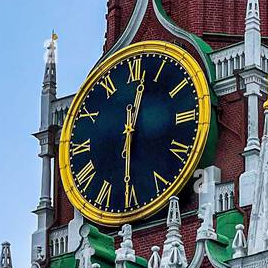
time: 12:30
